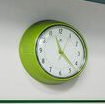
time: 11:22
